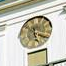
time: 5:18
